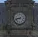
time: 8:42
